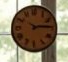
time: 10:14
